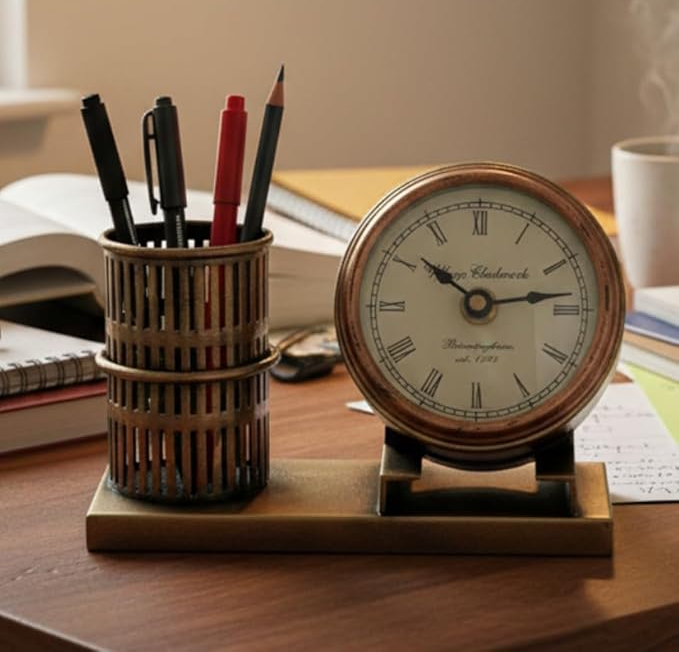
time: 10:13
